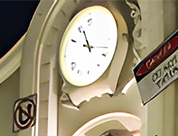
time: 11:17
